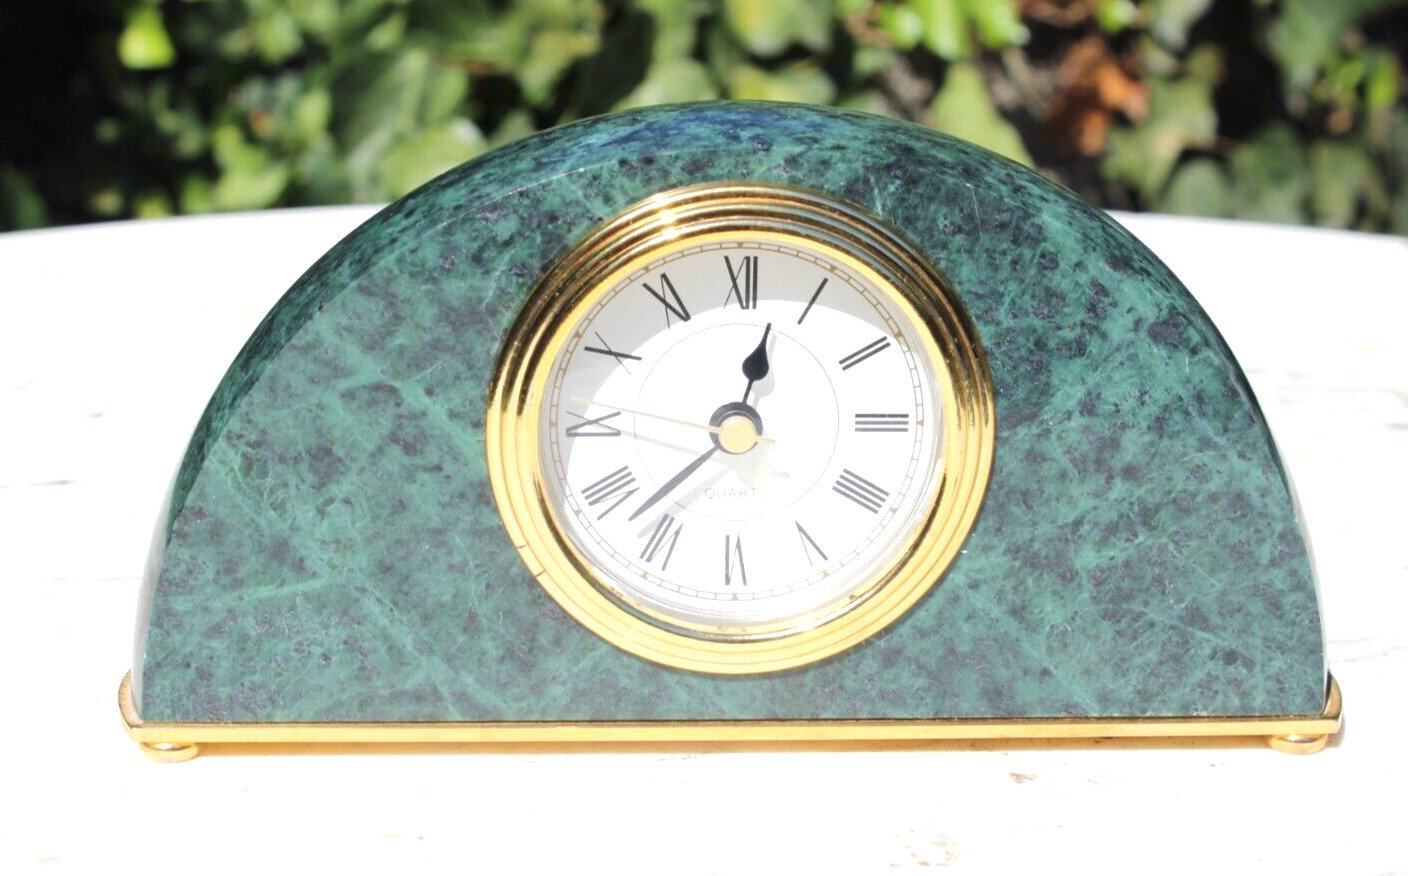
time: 12:37
